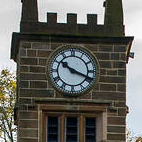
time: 10:18
